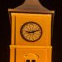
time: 9:12
